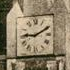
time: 9:10
